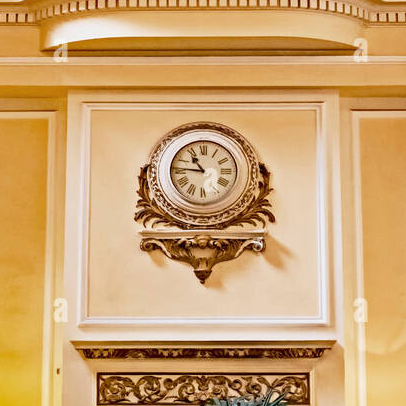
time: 10:45
